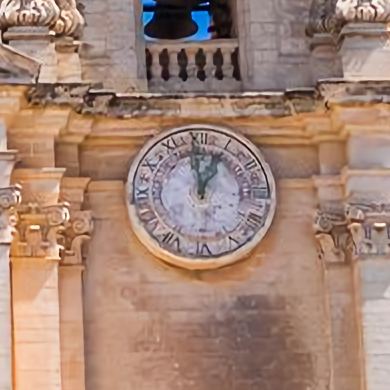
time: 12:59
